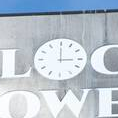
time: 3:00
